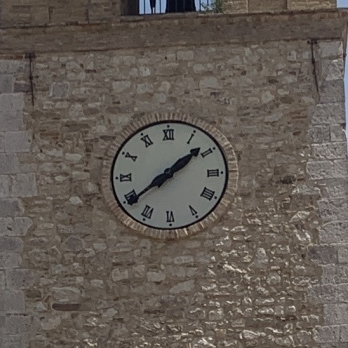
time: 1:39
